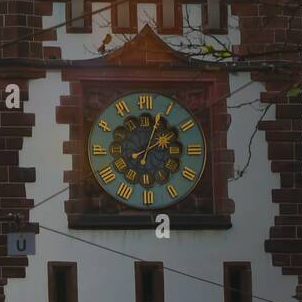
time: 2:03
